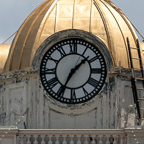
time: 1:34
